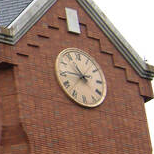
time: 10:45
